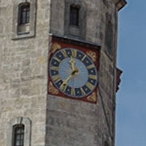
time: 11:37
